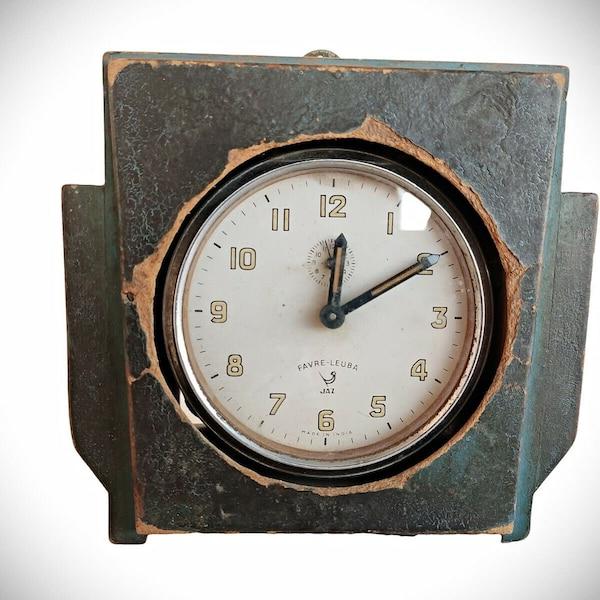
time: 12:09
